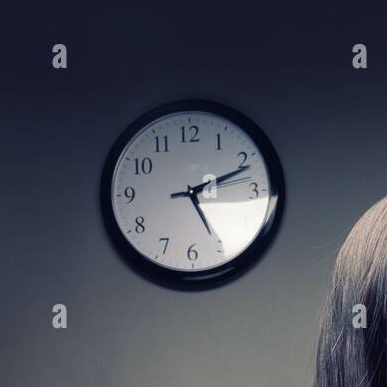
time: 5:11
